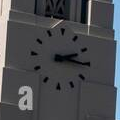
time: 2:15
